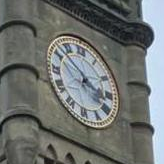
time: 3:52
